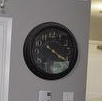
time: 4:20
